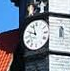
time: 9:57
